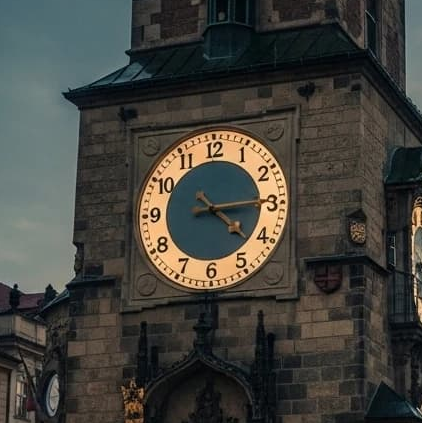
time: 4:14
